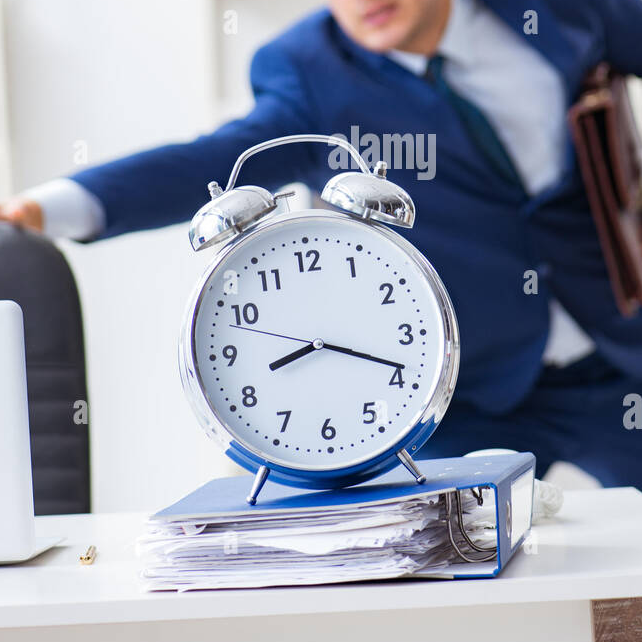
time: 8:18
